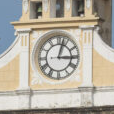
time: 3:02
